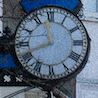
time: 11:41
